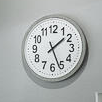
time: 1:26
